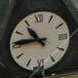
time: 10:45
